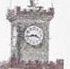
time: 3:43
